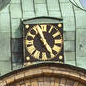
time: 11:24
